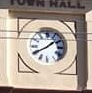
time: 1:40
